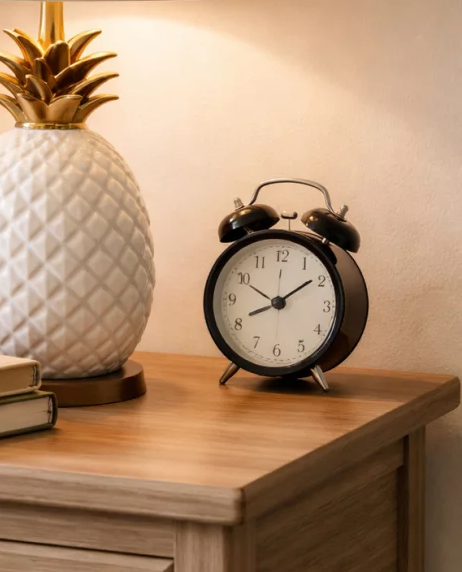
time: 8:09
